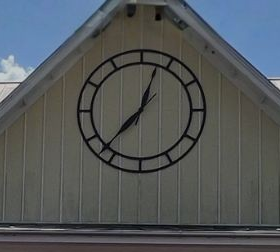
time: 12:37
